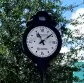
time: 11:08
